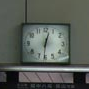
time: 12:31
